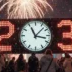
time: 11:07
